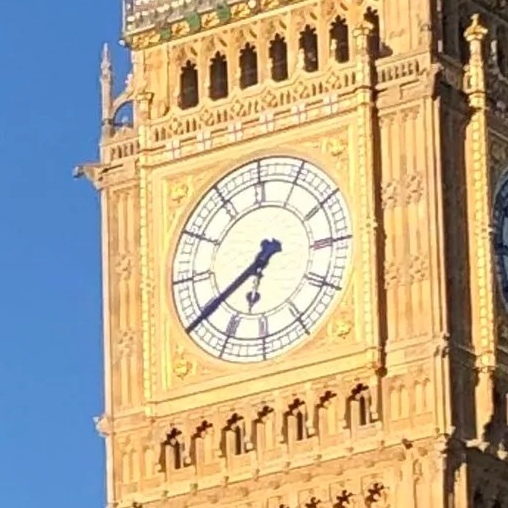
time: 6:39
